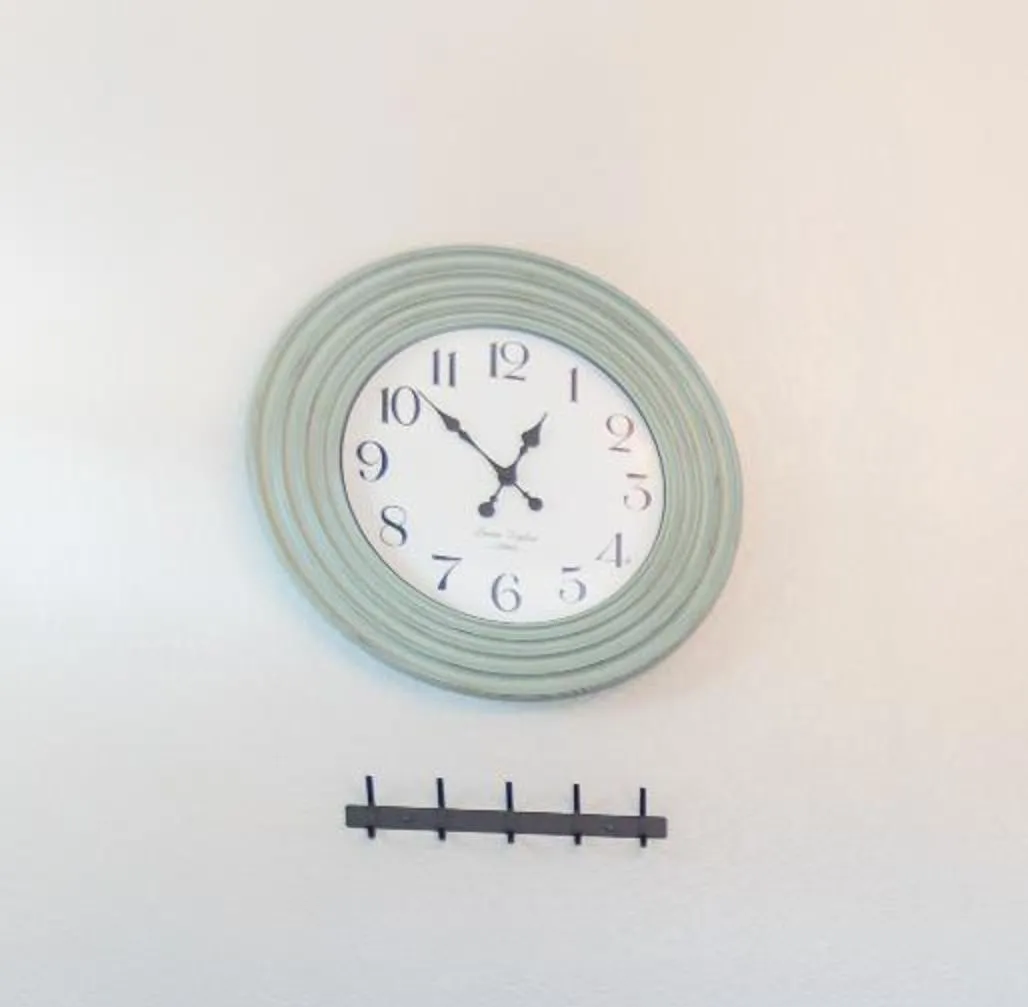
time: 12:52
